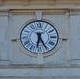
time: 6:25
